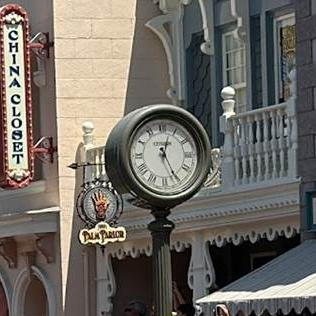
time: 12:25
